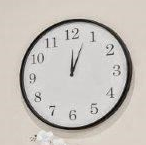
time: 12:03
